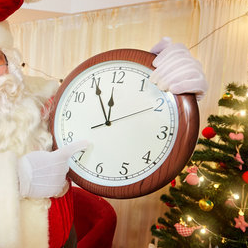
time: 11:55
